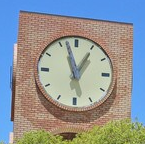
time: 12:57
